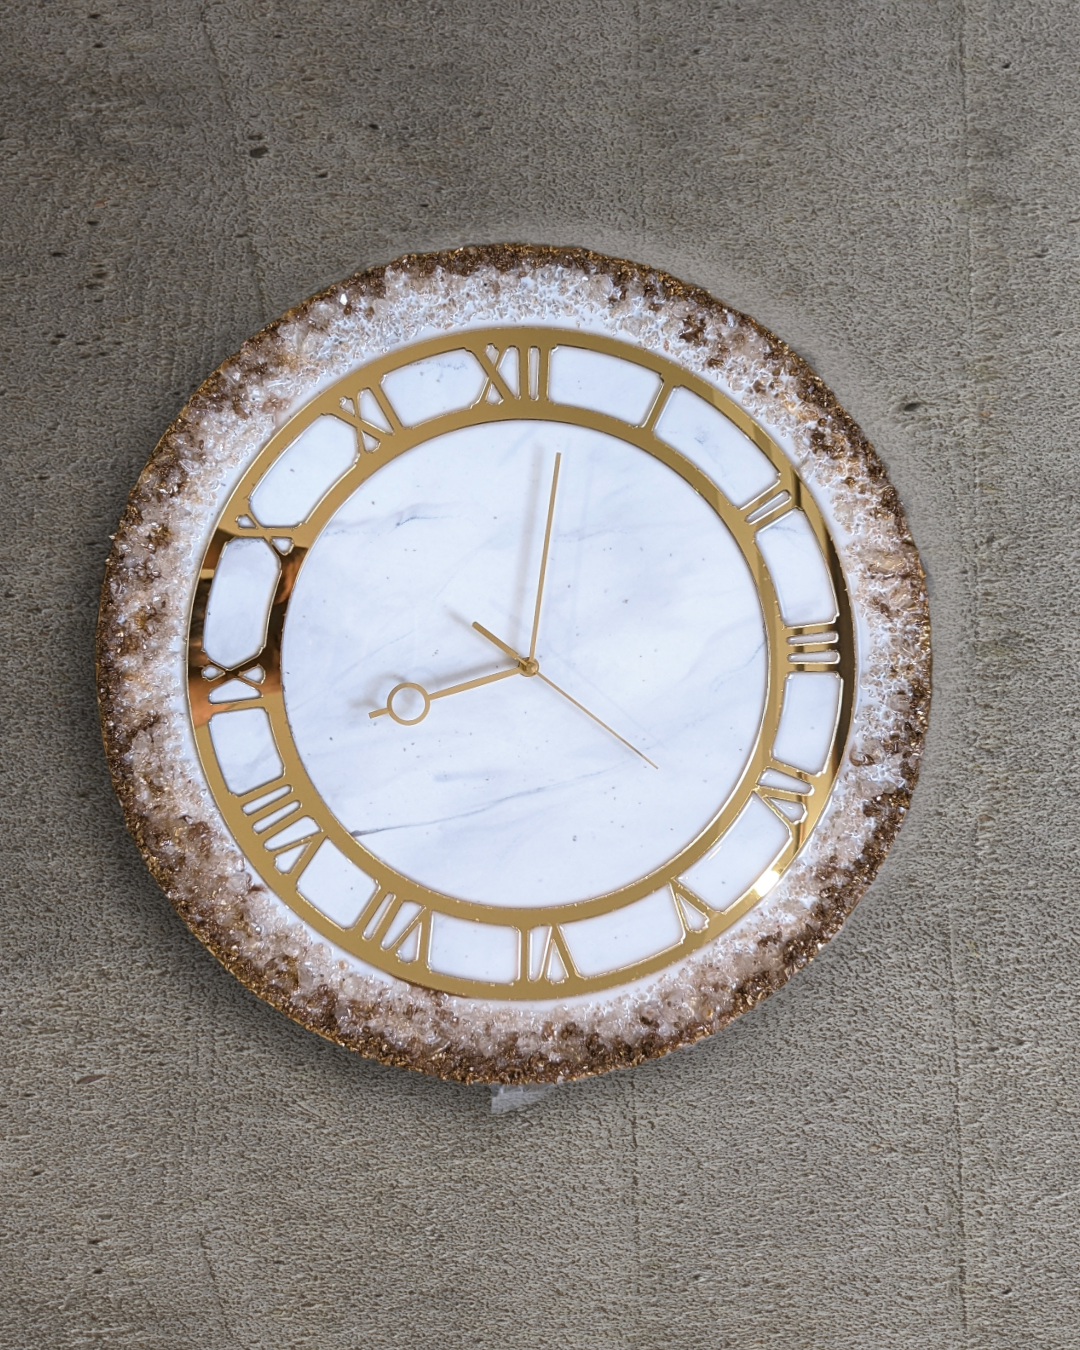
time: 9:01
